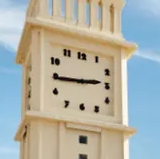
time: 2:44
